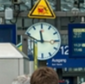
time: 11:48
